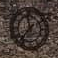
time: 11:37
